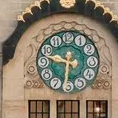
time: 9:31
